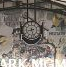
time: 8:27
